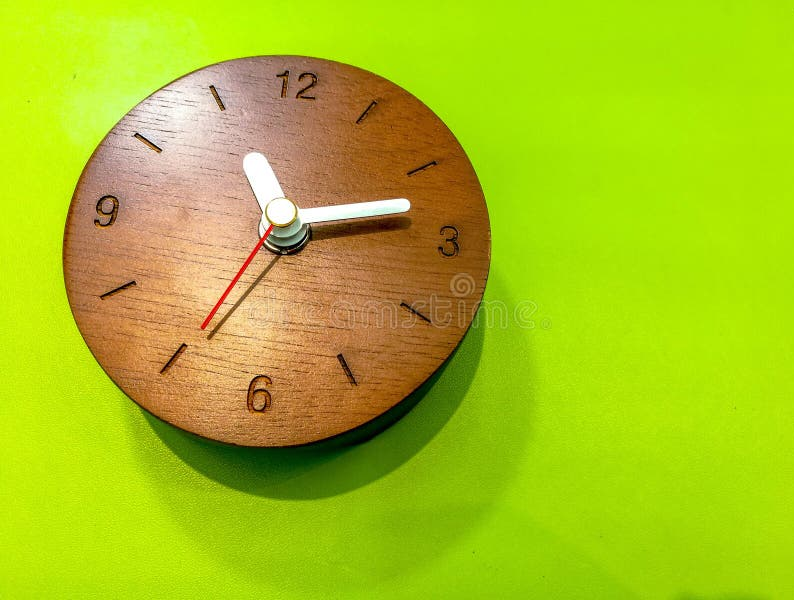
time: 11:13
